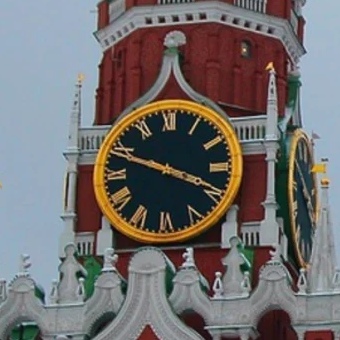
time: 3:48
